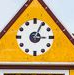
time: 3:04
